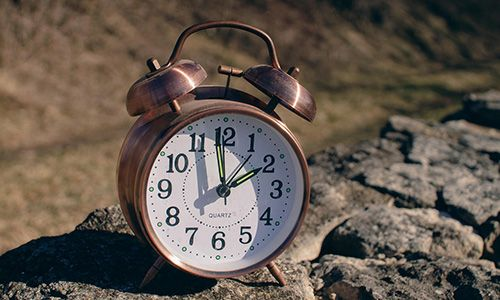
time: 1:59
